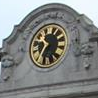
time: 10:34
